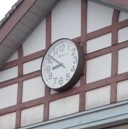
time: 8:51
